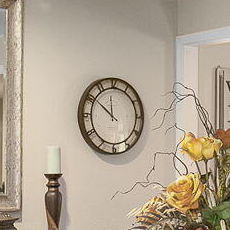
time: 11:51
